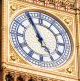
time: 4:55
